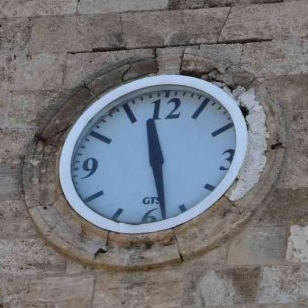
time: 11:27
